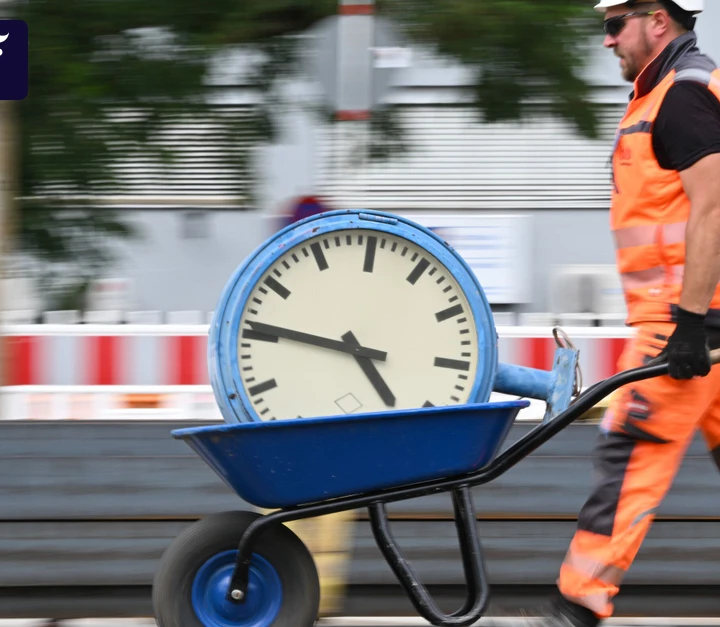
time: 4:46
